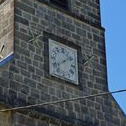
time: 1:39
